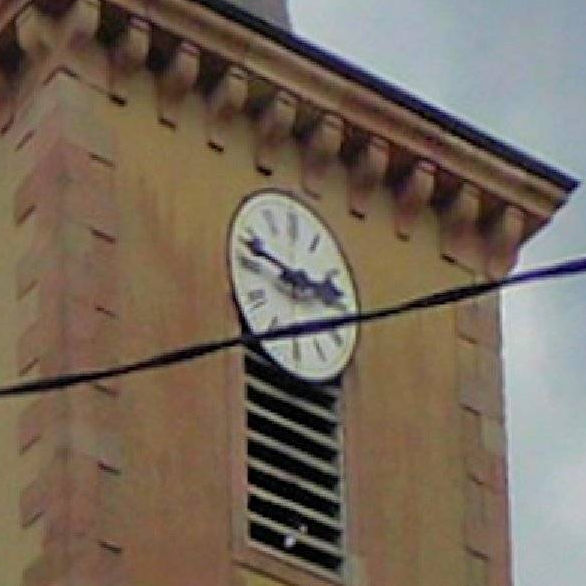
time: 2:48
